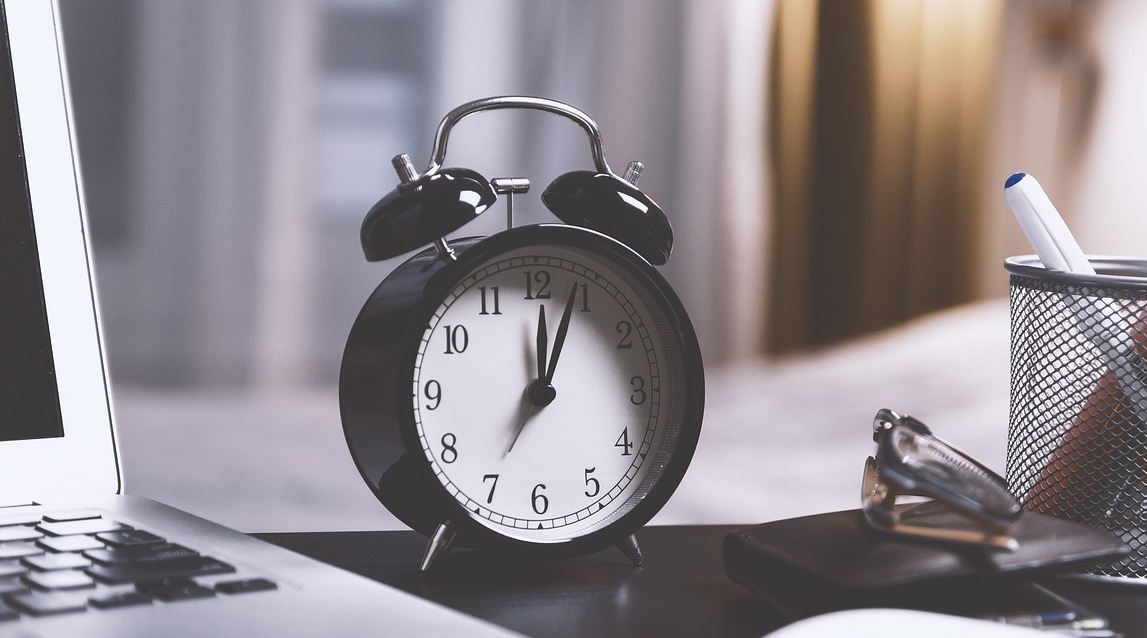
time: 12:03
